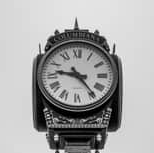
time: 9:23
